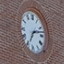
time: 7:12
